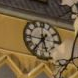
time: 5:36
